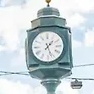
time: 1:26
